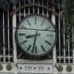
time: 8:32
